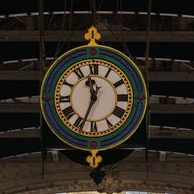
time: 11:33
